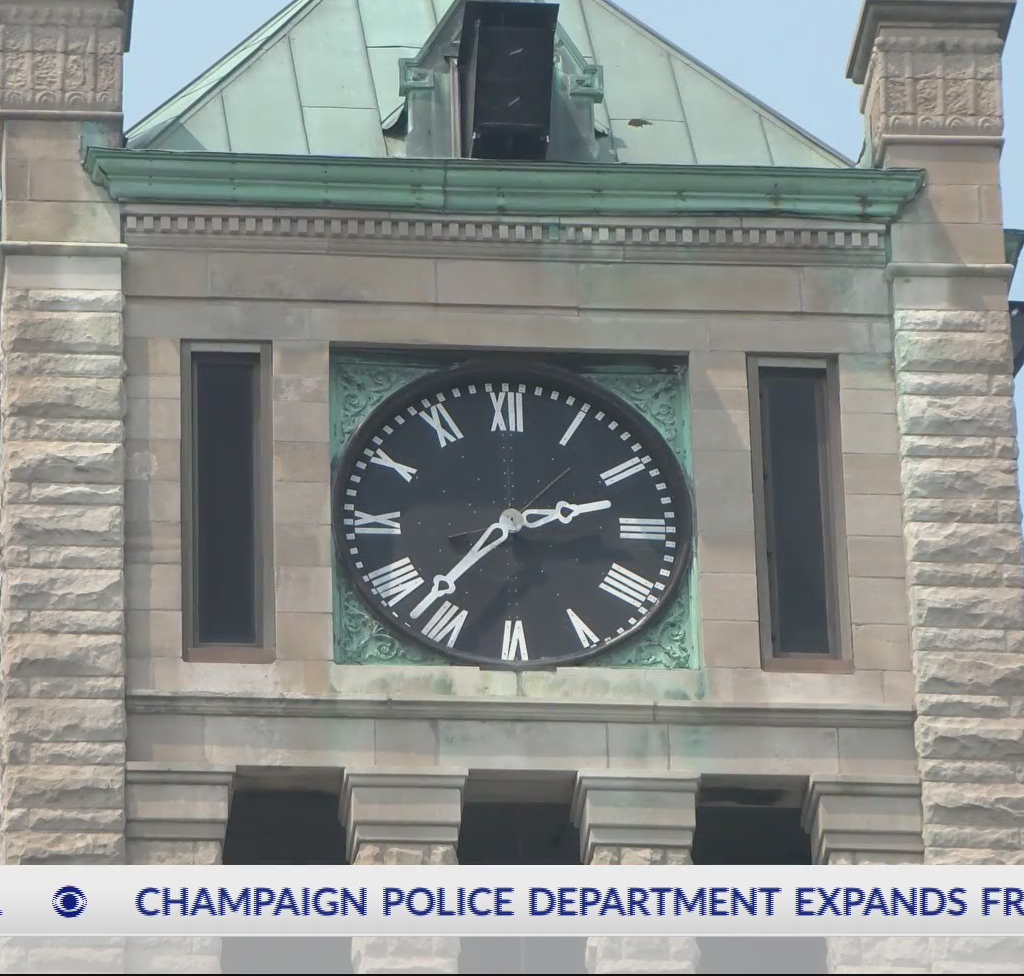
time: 2:36
